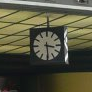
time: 3:29
